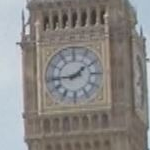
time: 1:44
